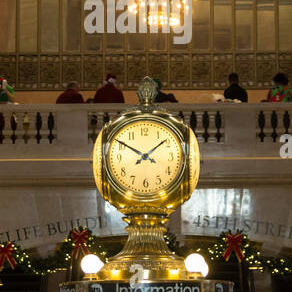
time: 1:50
